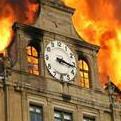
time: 3:16
